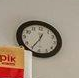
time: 12:34
